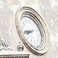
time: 7:40
